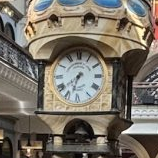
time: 6:38
